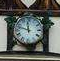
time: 11:47
